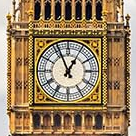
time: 12:56
